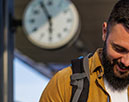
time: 5:55
